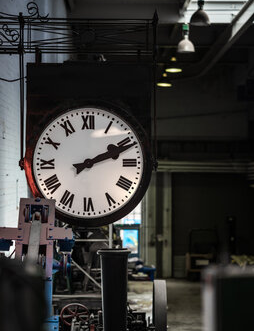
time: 2:11
